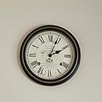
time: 2:03
